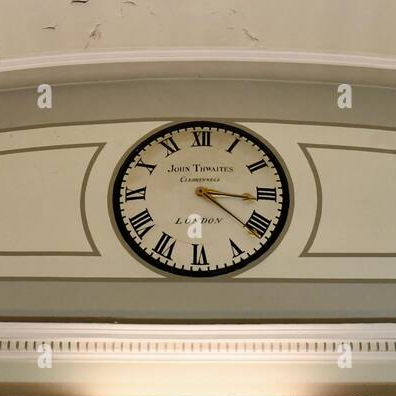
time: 3:21
